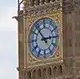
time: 2:53
